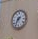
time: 7:36
